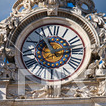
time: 11:12
